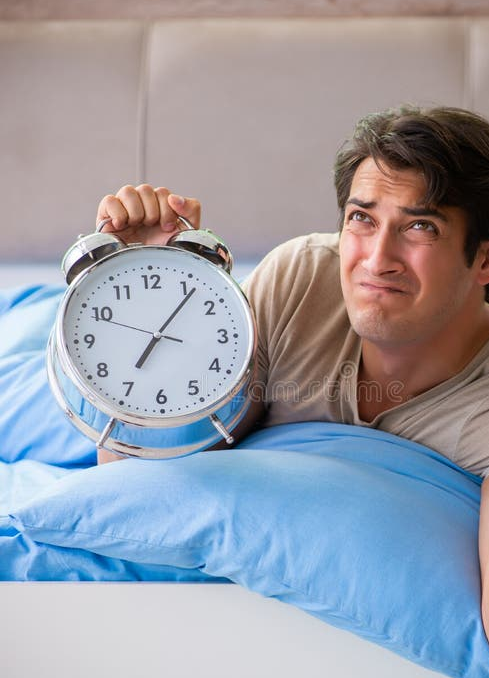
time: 7:06
